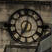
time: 7:02
